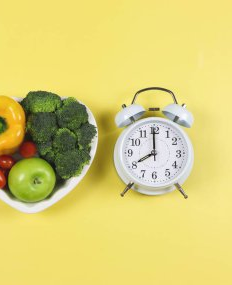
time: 7:59
